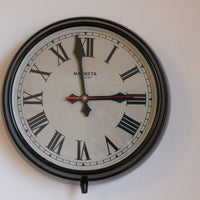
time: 2:58
